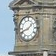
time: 1:41
